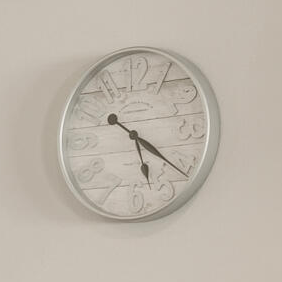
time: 5:21
